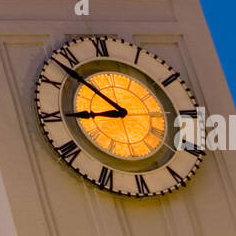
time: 8:53
